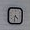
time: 4:31
